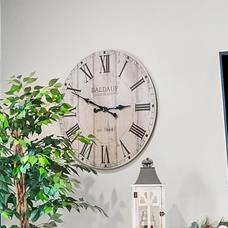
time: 2:49
